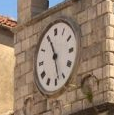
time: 11:28
